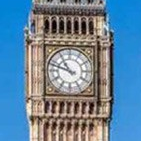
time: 10:48
